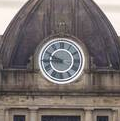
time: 9:44
